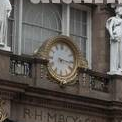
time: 3:16
